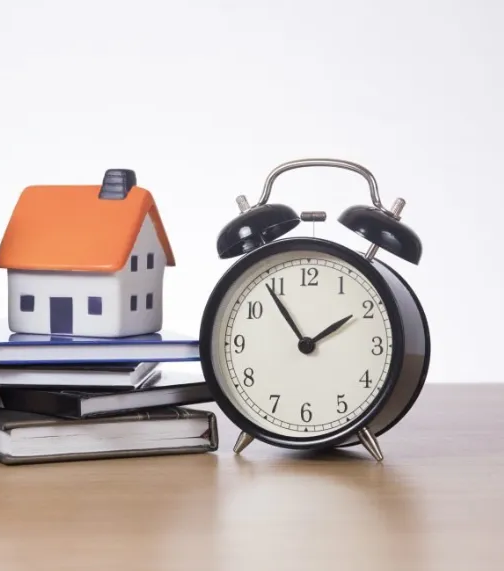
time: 1:54
